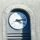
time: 4:12
